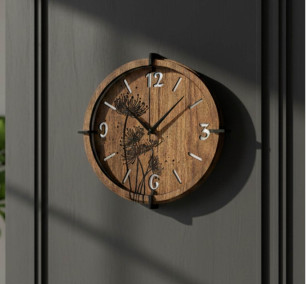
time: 10:07
